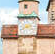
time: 2:40
